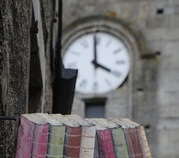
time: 3:59
